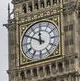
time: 11:49
